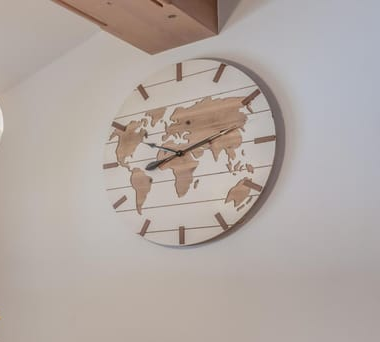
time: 8:12
